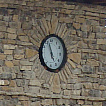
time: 5:57
